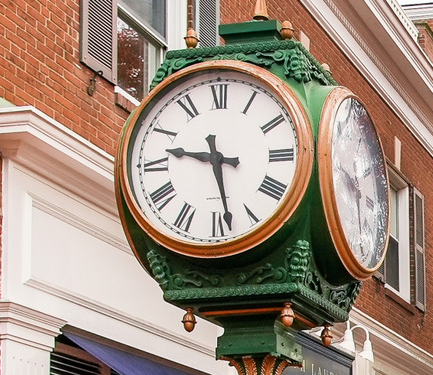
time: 9:28
